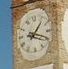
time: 1:18
